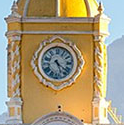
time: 5:21
